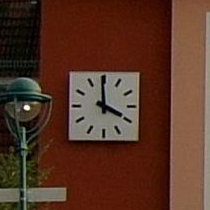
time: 3:59
